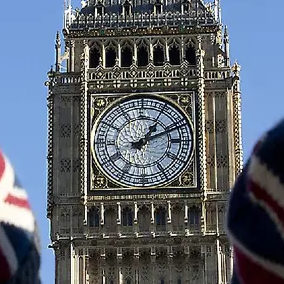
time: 1:11
